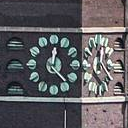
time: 12:22
